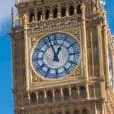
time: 12:57
